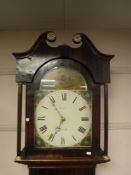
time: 6:53
